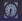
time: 6:32
